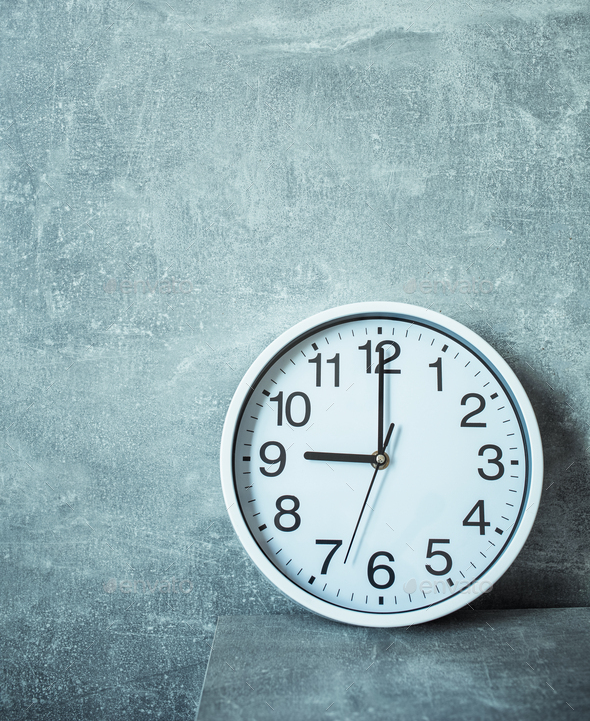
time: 9:00
